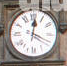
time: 12:19
